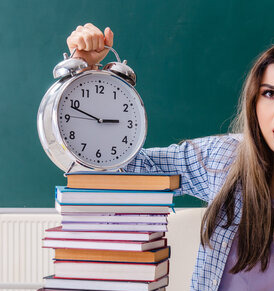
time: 2:48
